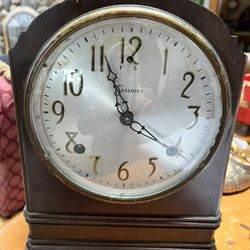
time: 11:21
